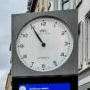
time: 10:55
